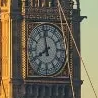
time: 7:58
